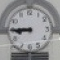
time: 8:45
